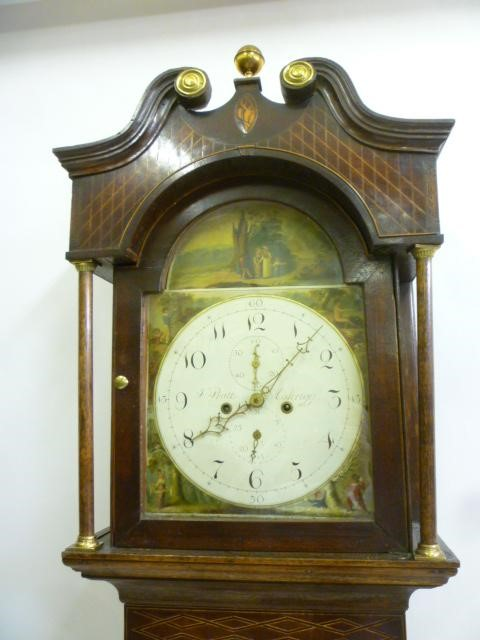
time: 8:07
